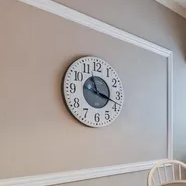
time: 11:18
